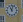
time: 11:02
